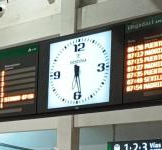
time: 6:28
